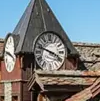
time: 3:48
